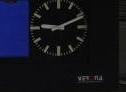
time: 9:10
